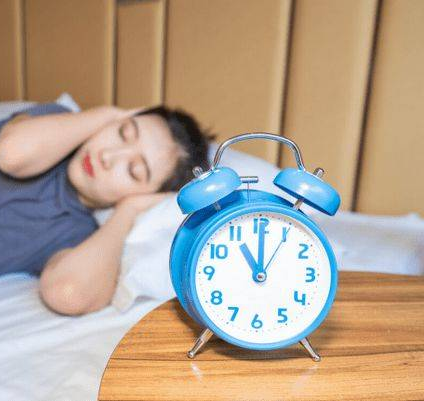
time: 11:00
